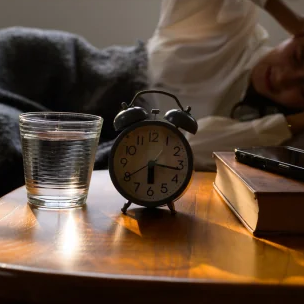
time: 6:16
